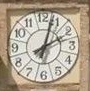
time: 2:03
